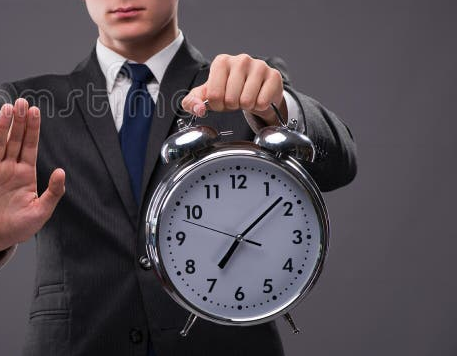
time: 7:08
